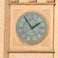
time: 1:54
